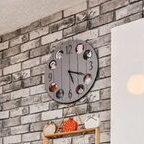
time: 5:18
